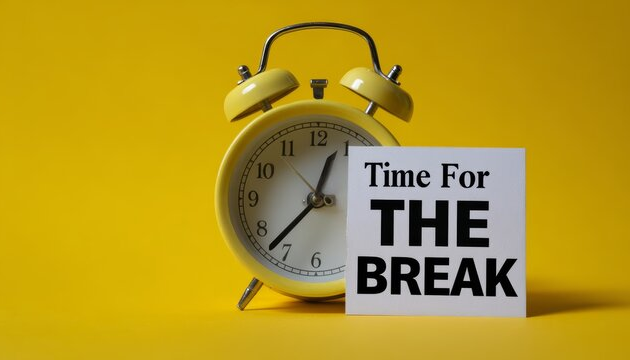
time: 12:37
